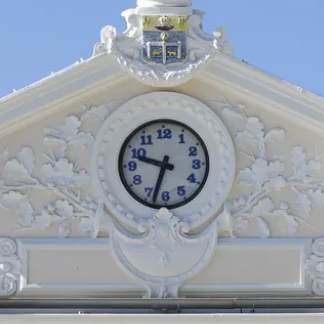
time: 9:33
